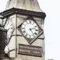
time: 2:24
